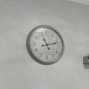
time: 11:12
